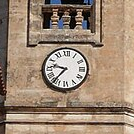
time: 9:36
